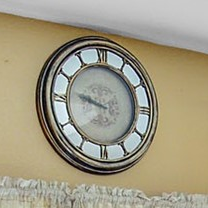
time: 9:47
